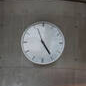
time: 4:56
